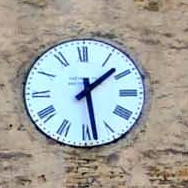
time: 1:28
